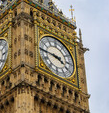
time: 3:45
